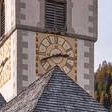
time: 2:41
